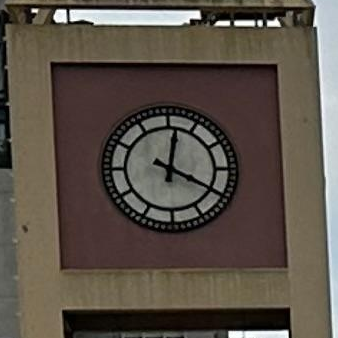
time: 12:19
